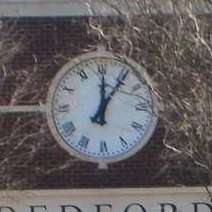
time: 12:06
